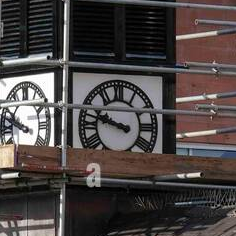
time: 9:47
